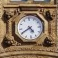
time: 4:40
